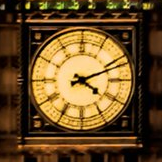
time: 4:11
